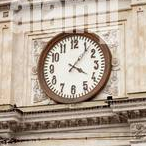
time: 4:06
